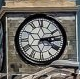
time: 3:12
